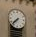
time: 7:37
